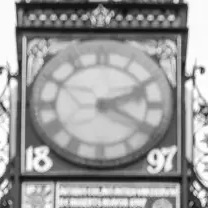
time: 2:19
